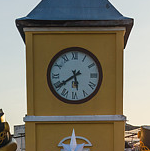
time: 5:39
